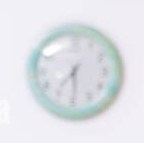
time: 7:29
